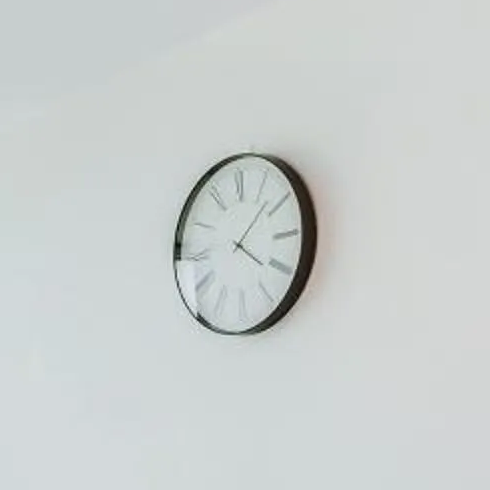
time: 4:07
